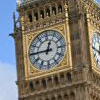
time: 12:45
